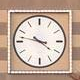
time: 3:47
